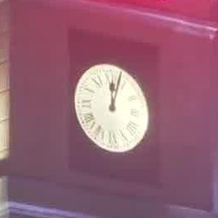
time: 12:03
